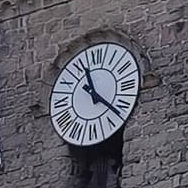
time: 11:22
